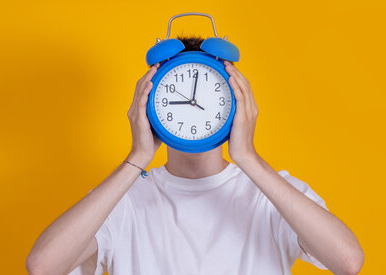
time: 9:01
